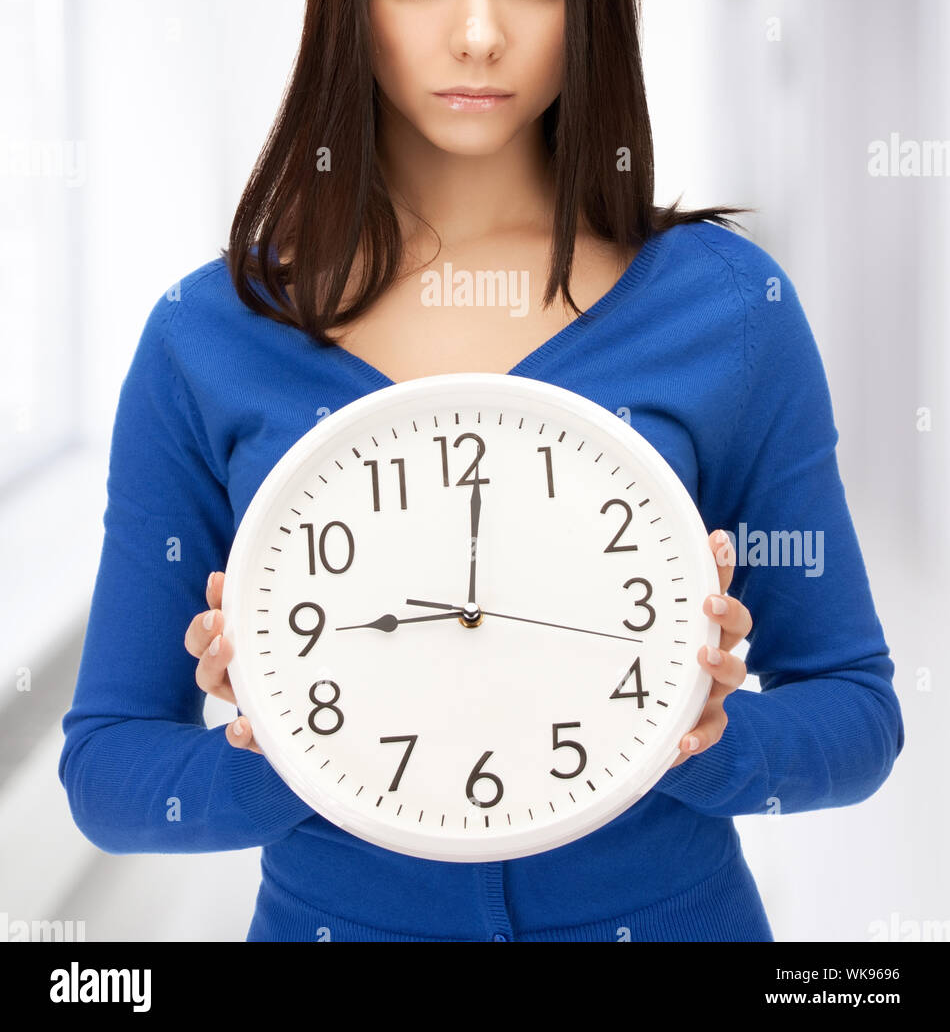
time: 9:01
